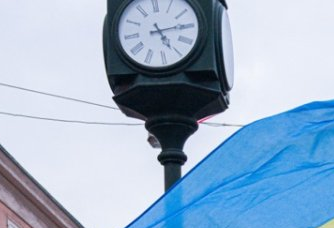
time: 5:14
